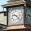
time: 9:22
